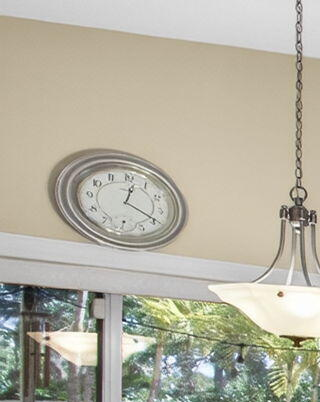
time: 12:19
